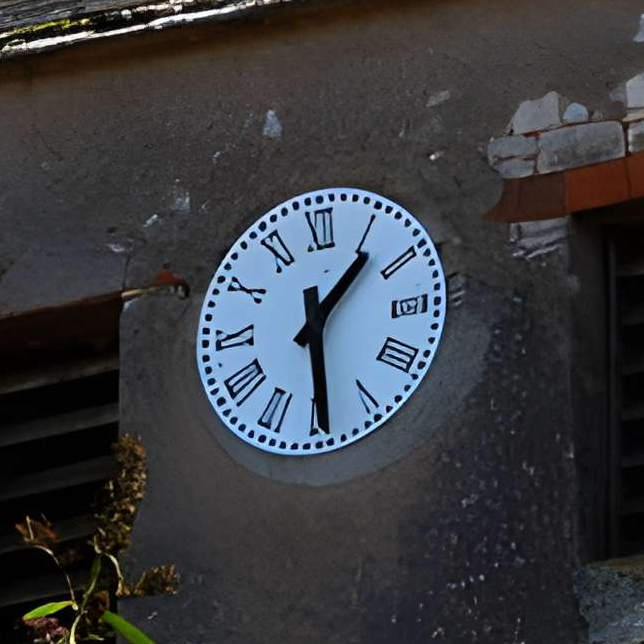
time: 1:29
